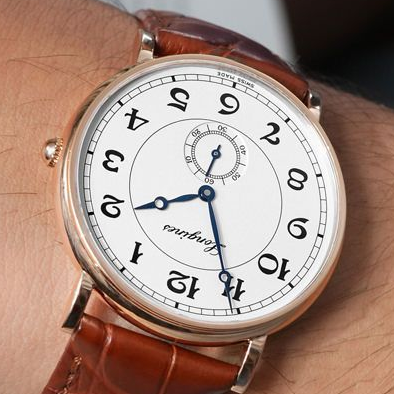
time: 12:25
